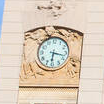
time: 6:17
